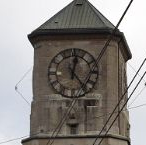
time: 12:23
